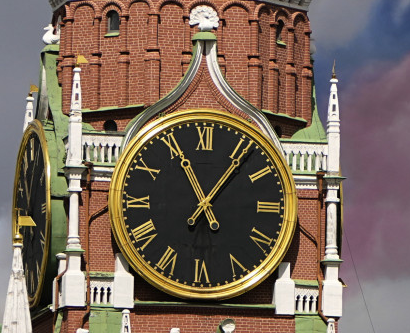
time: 11:06
